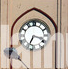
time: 3:33
